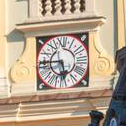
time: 5:44
